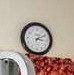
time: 3:10
